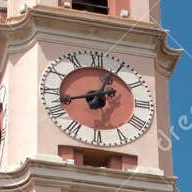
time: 12:42
